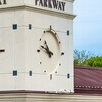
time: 10:47
